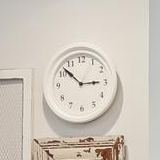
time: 2:52
